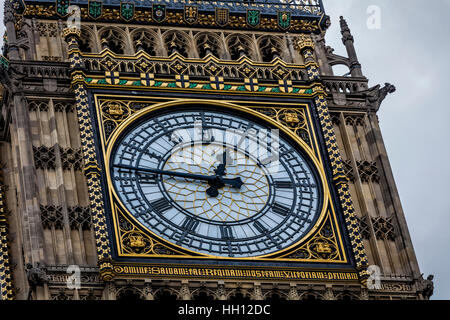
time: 12:46
